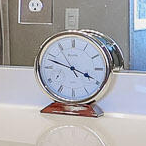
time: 3:47
